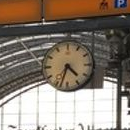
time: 4:33
